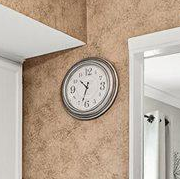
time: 10:32
